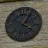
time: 4:04
